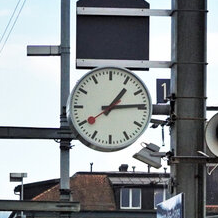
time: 1:14
